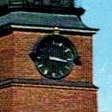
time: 3:16
